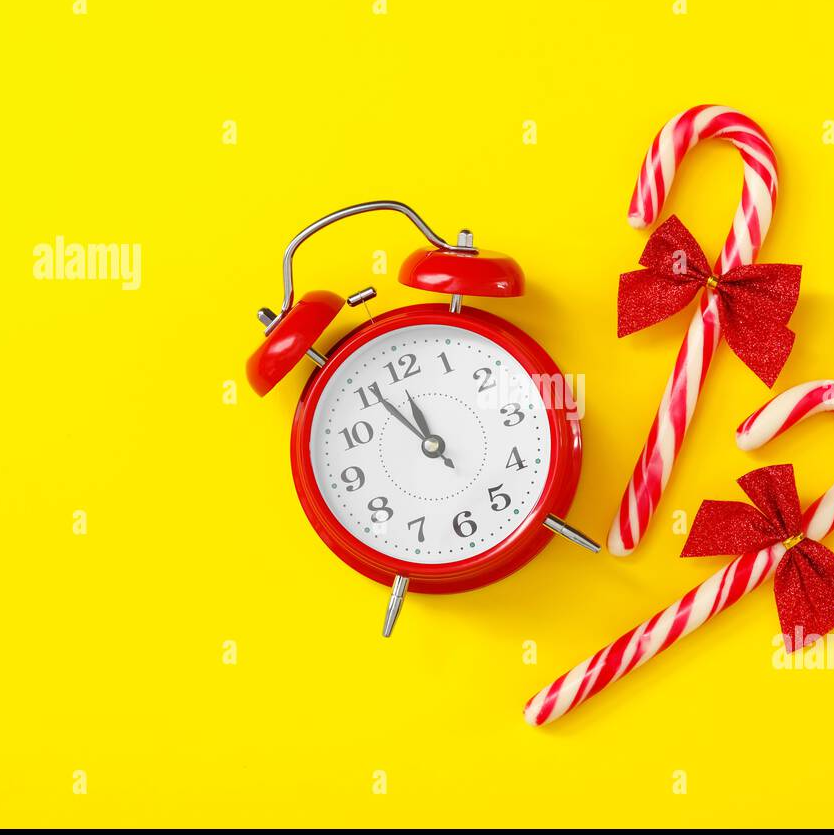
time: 11:55
